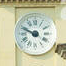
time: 9:48
